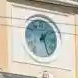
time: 1:26
